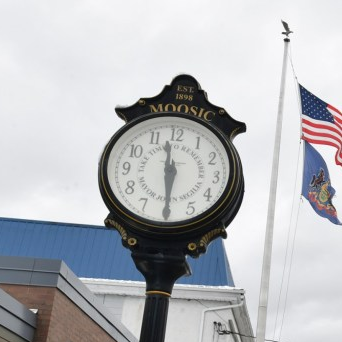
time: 11:29
